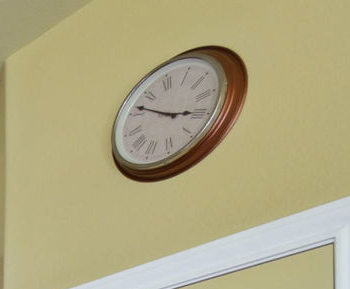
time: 3:51
